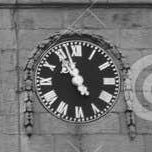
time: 10:56
